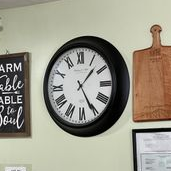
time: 1:25
